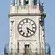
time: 5:20
